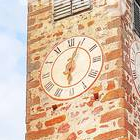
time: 6:03
